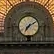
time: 7:09
